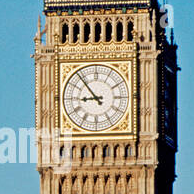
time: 8:53
